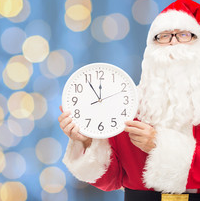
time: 11:54
